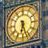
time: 6:26
